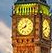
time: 8:03
